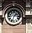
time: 1:33
